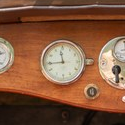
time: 11:44
